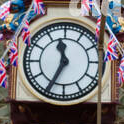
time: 11:34
